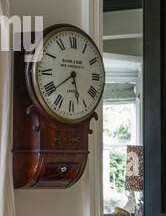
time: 5:38
